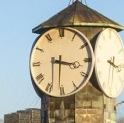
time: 3:30
